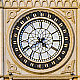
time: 4:38
